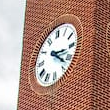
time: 3:22
